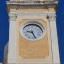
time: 9:26
